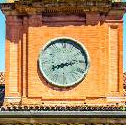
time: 8:13
